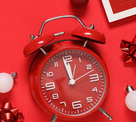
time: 11:58
